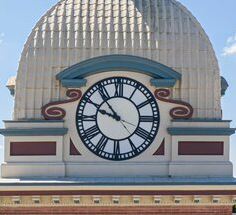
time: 9:53
